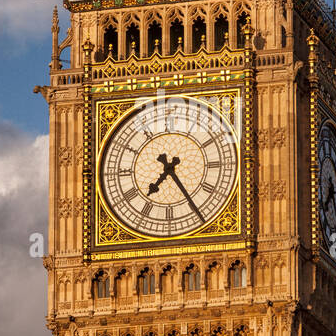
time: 7:24
